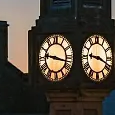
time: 9:17
